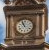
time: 10:56
